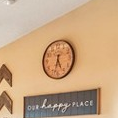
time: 5:32
